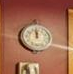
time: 11:58
